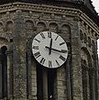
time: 12:16
